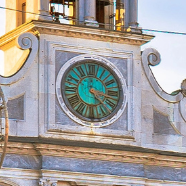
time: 3:23
